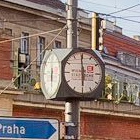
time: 5:59
